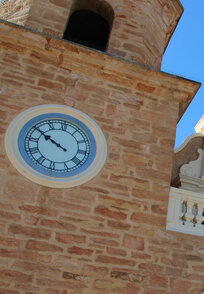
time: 9:49
